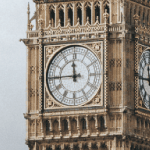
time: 11:44
